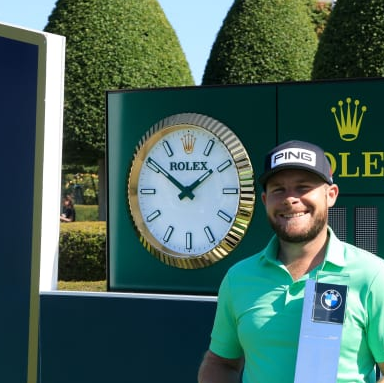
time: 1:50
